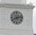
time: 8:12
